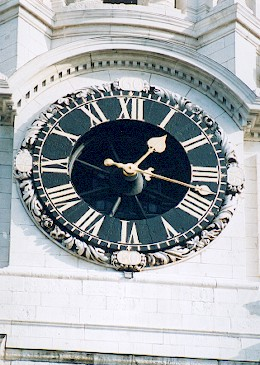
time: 1:17
